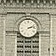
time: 2:12
